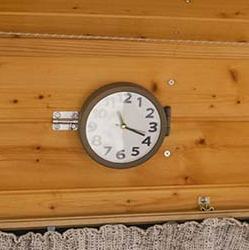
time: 11:18
